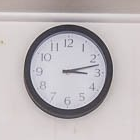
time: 3:12
